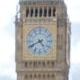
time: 4:40
